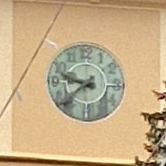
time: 9:38
